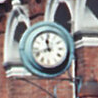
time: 11:41
